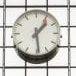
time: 1:29
